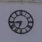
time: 6:43
